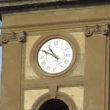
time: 10:49
